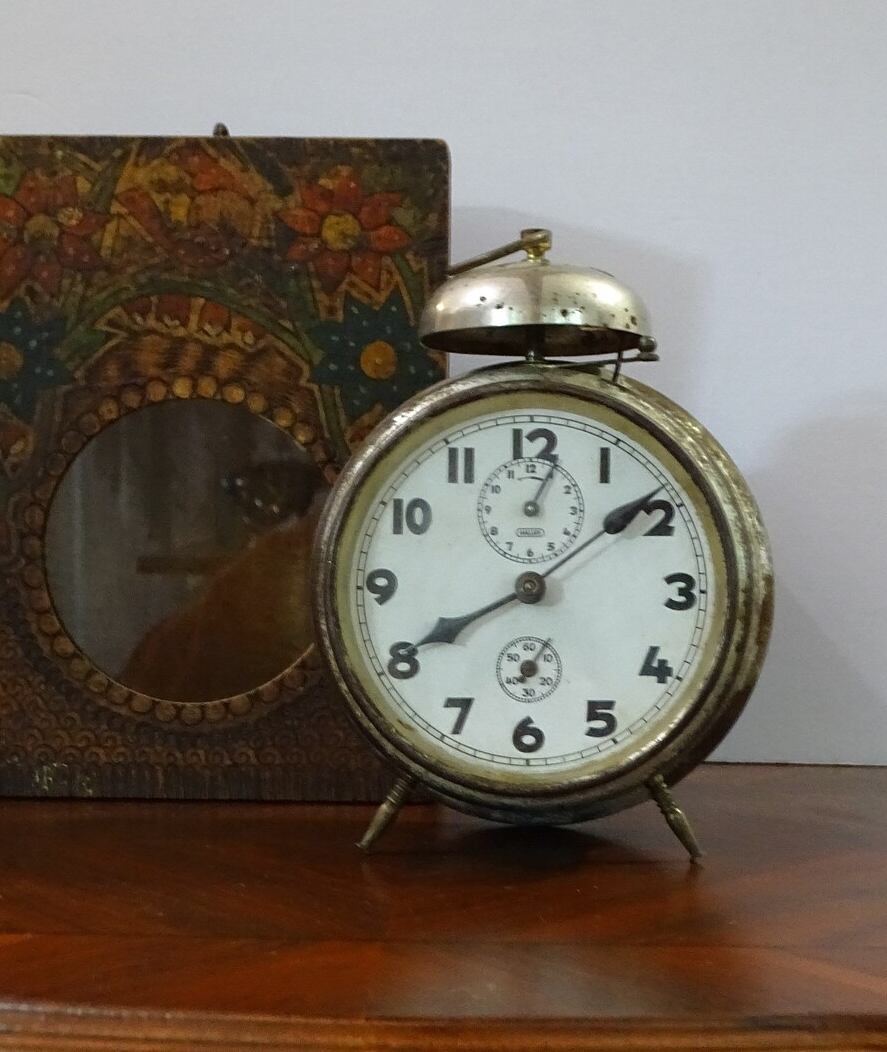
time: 8:08
